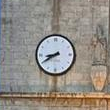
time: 8:40
